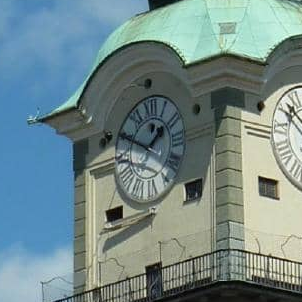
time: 1:49
